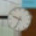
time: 9:34
